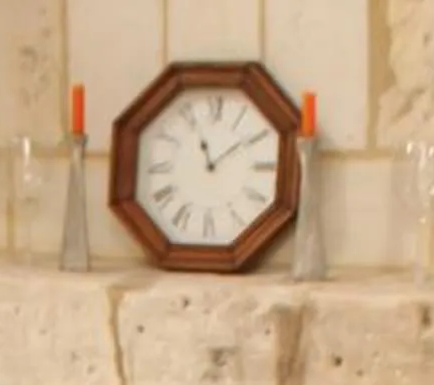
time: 11:09
